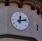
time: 12:12
